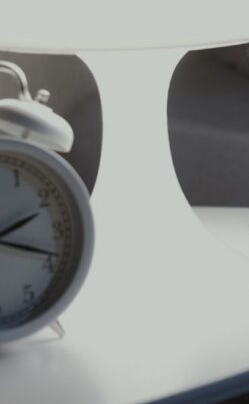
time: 2:18
